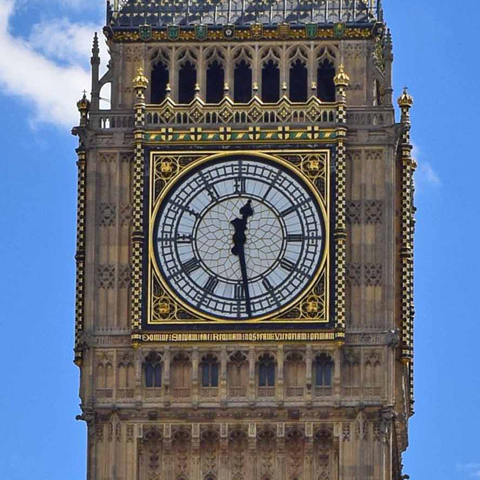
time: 12:28
